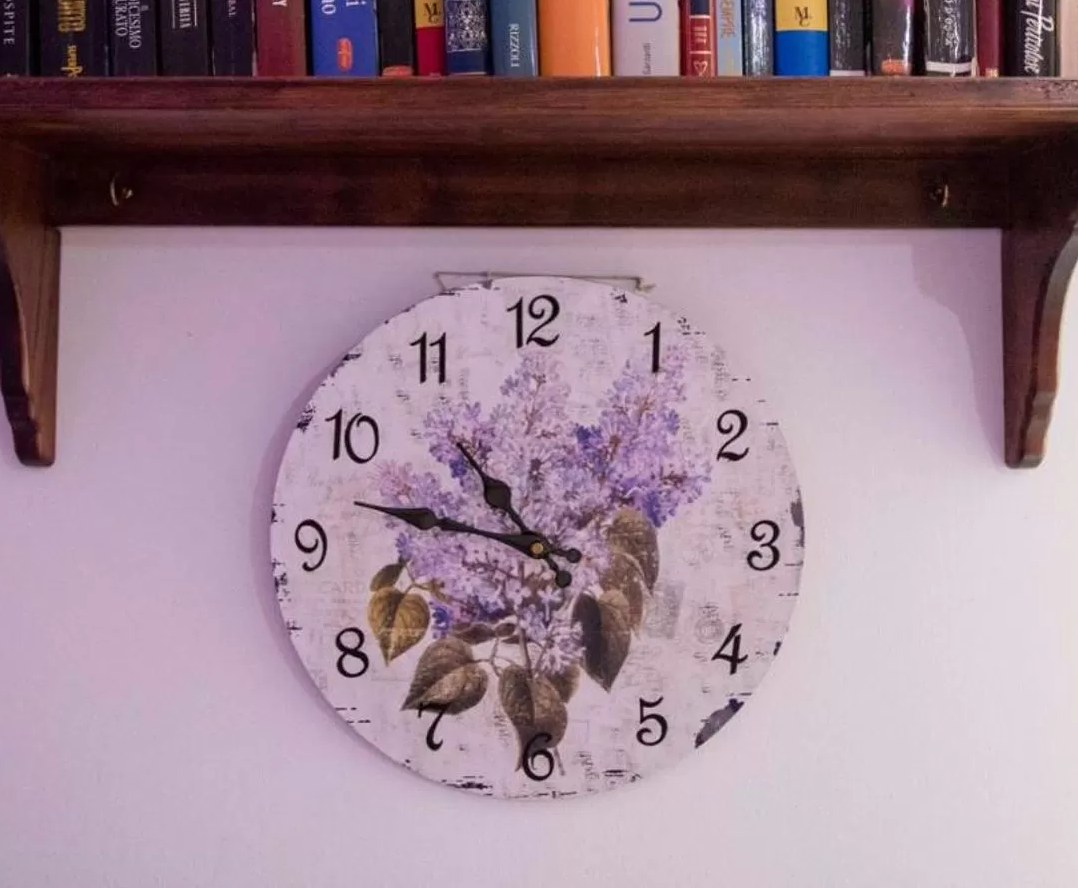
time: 10:47
